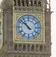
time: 10:52
